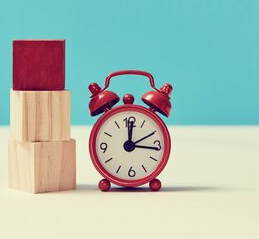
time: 12:16
